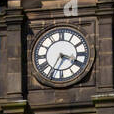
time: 3:35
